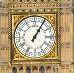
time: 1:05
